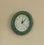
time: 12:07
